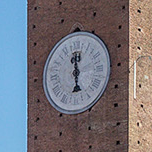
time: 5:59
